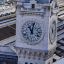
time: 11:02
